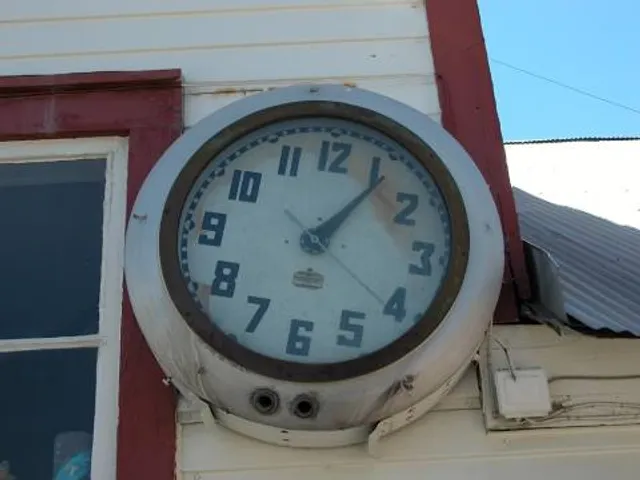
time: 1:06
